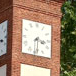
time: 3:29
